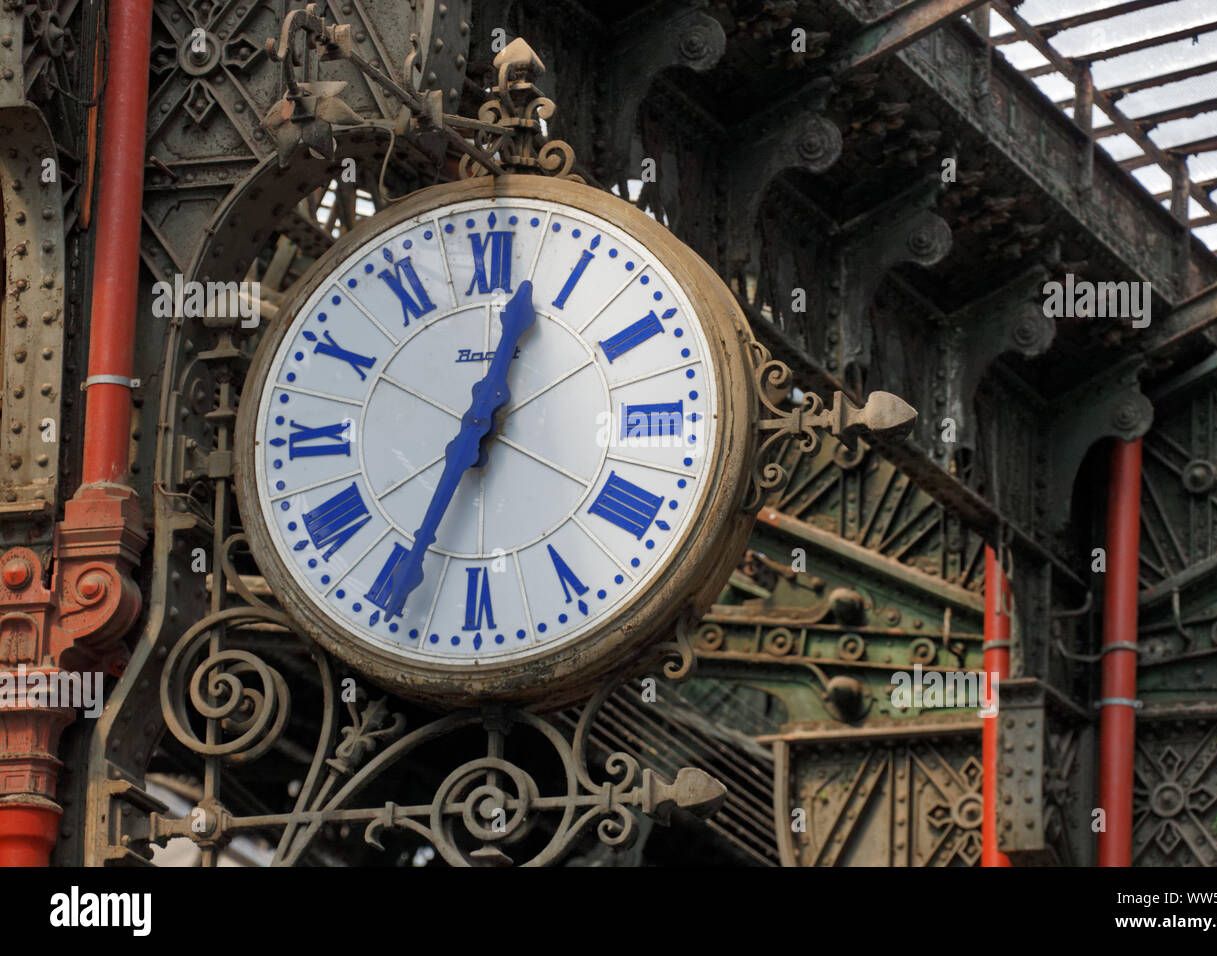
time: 12:34
